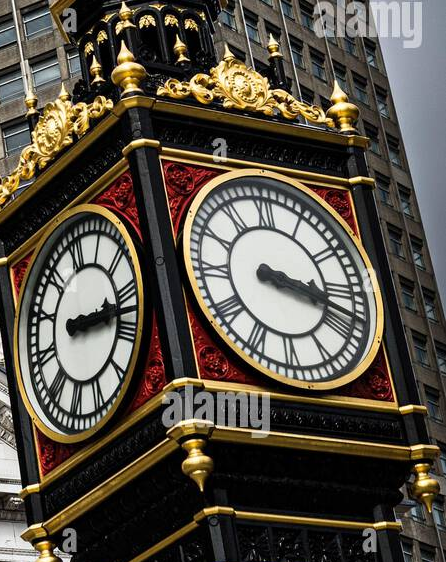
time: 3:18
